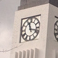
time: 11:17
